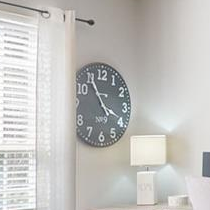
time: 3:54
